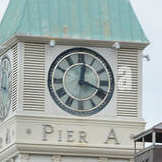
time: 12:18
